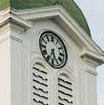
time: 5:34
